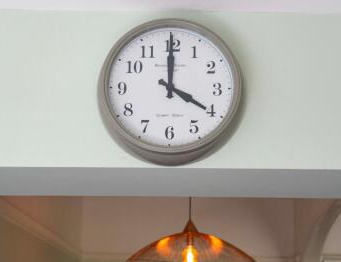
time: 4:00
